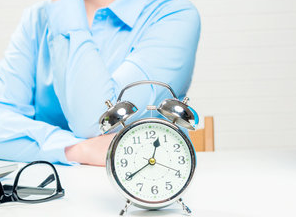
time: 12:39
